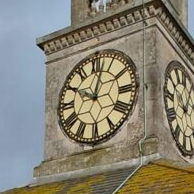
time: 10:02
